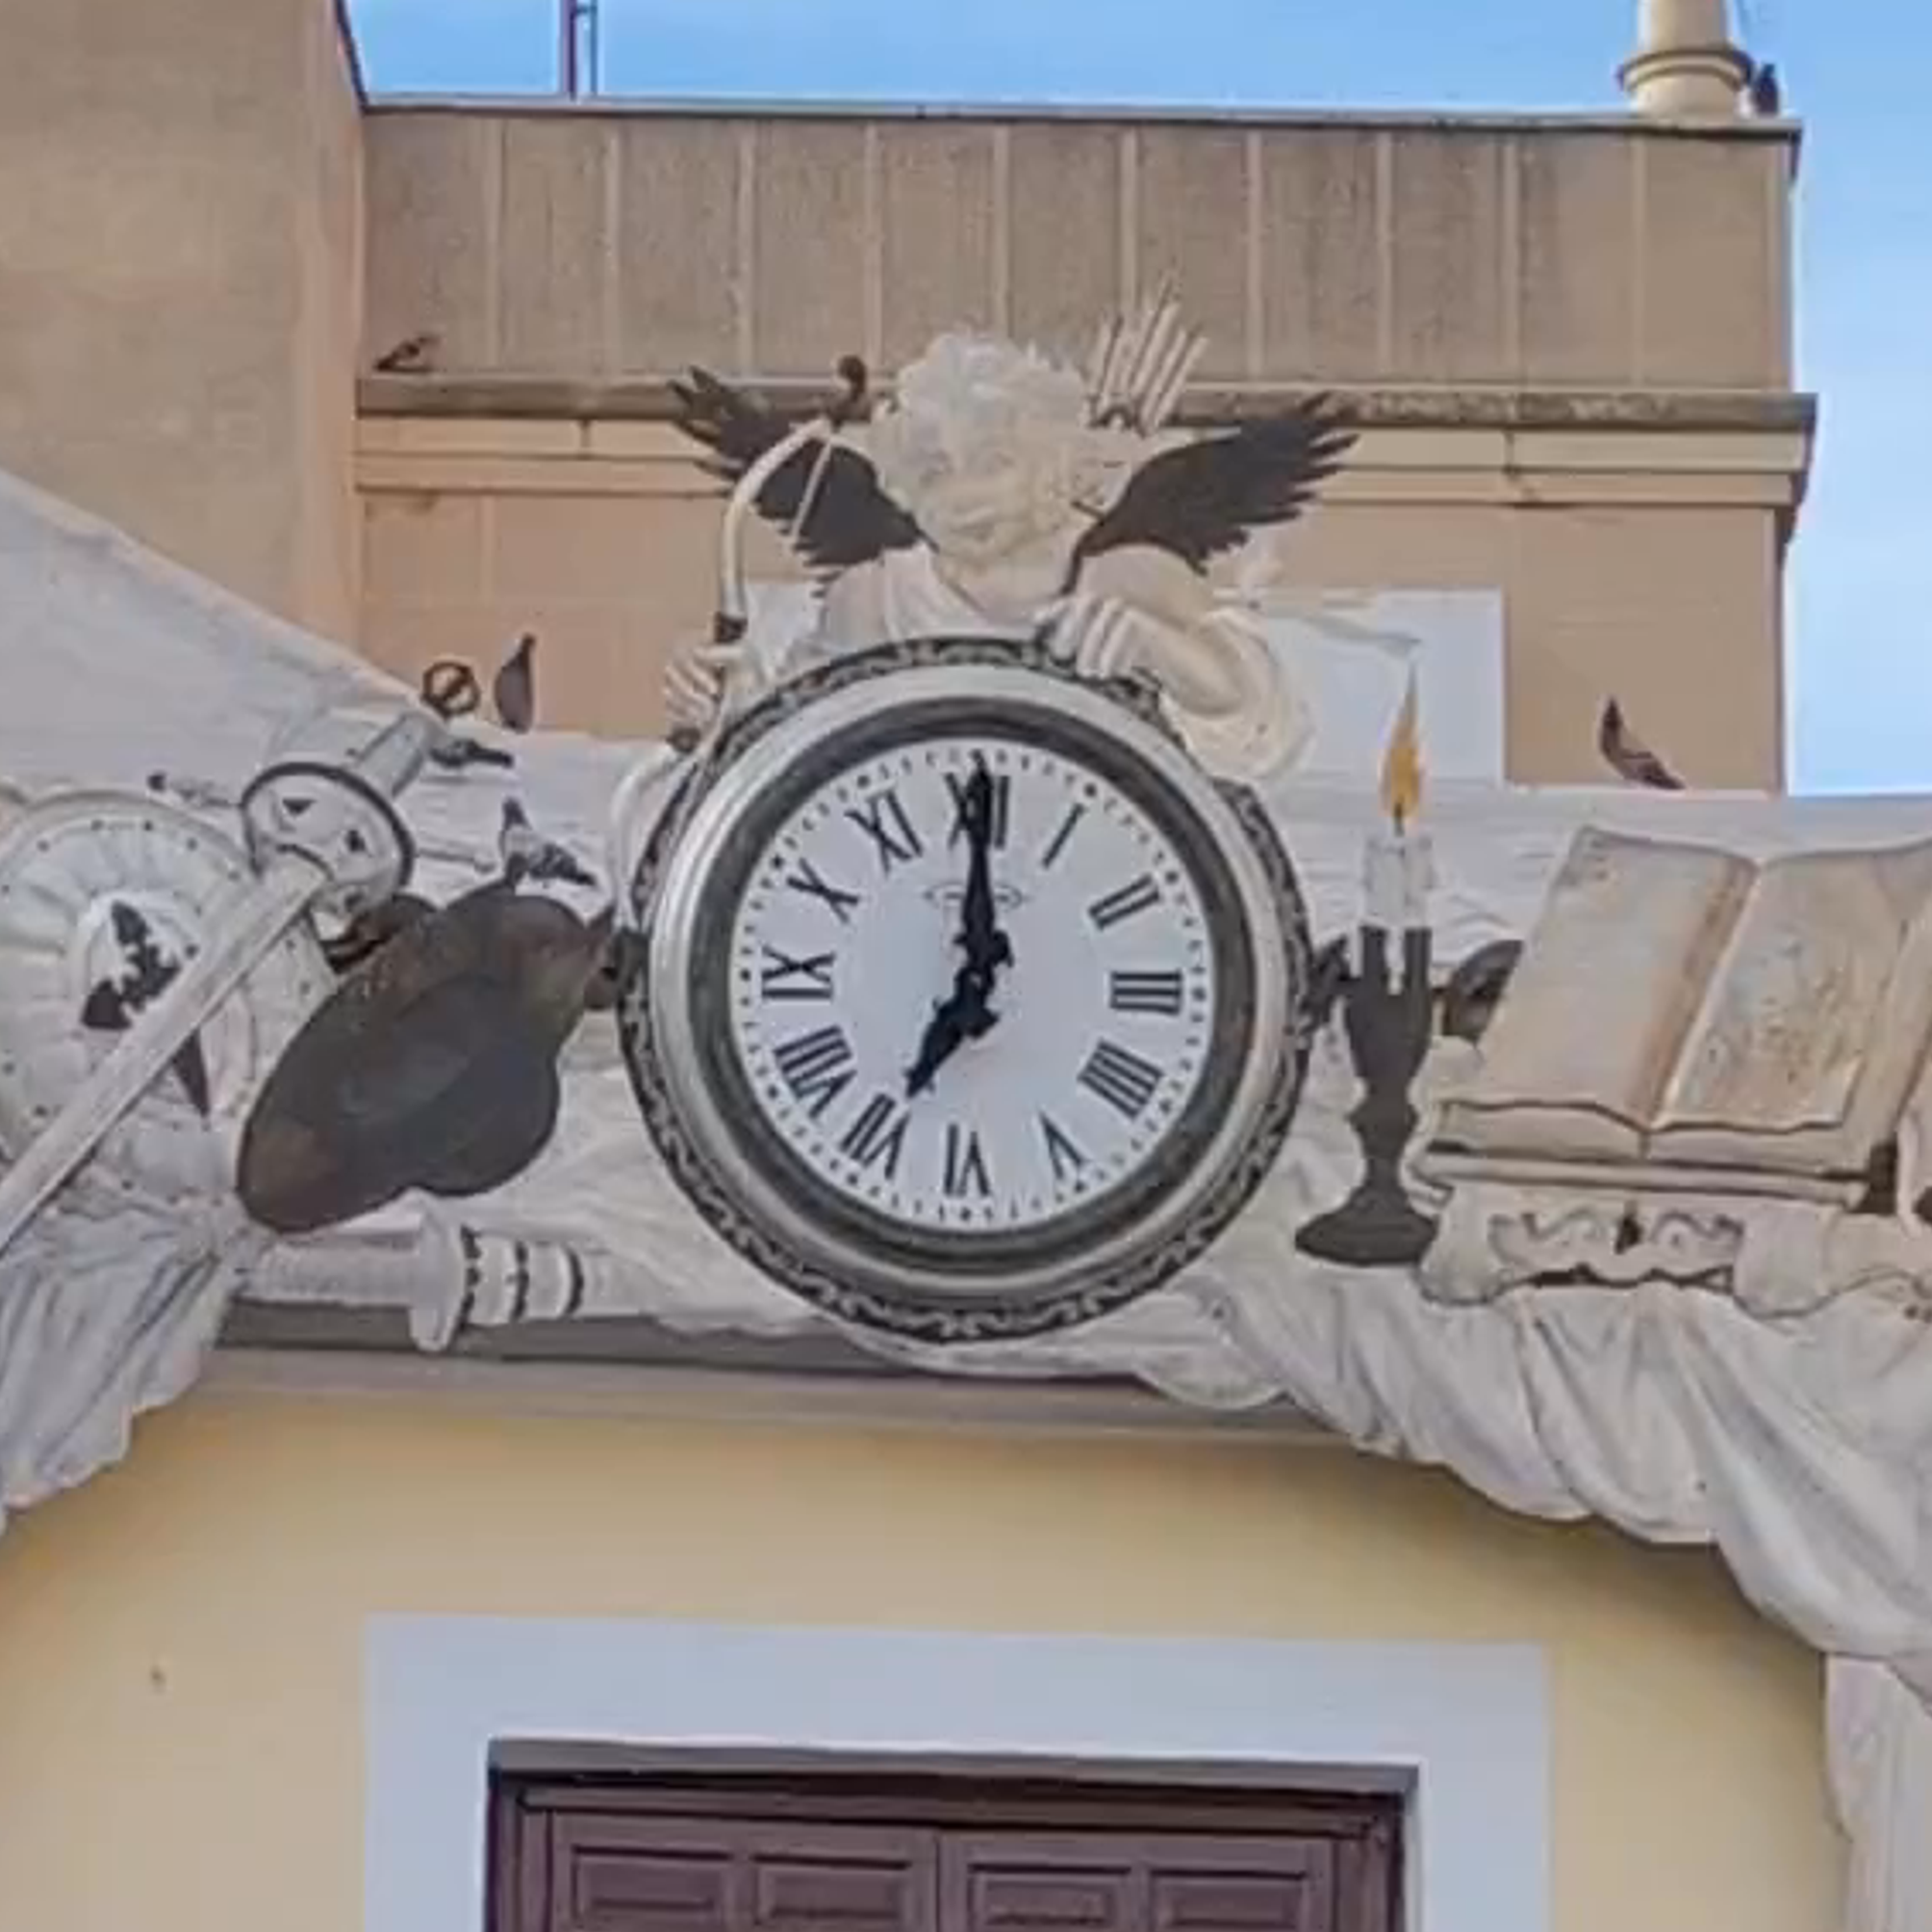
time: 7:00
